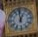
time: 12:59
